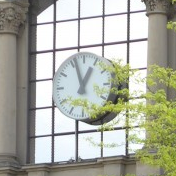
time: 12:57
